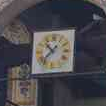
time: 10:37
